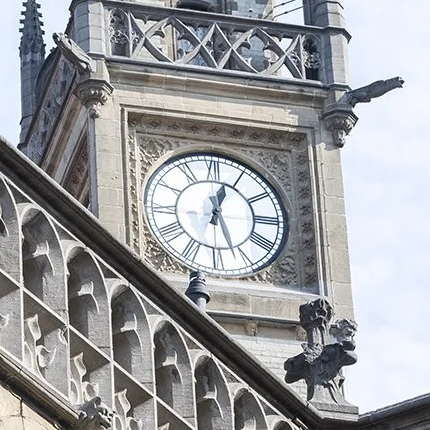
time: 12:26
